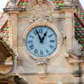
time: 12:56
